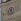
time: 12:23
